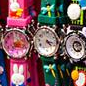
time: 4:17
